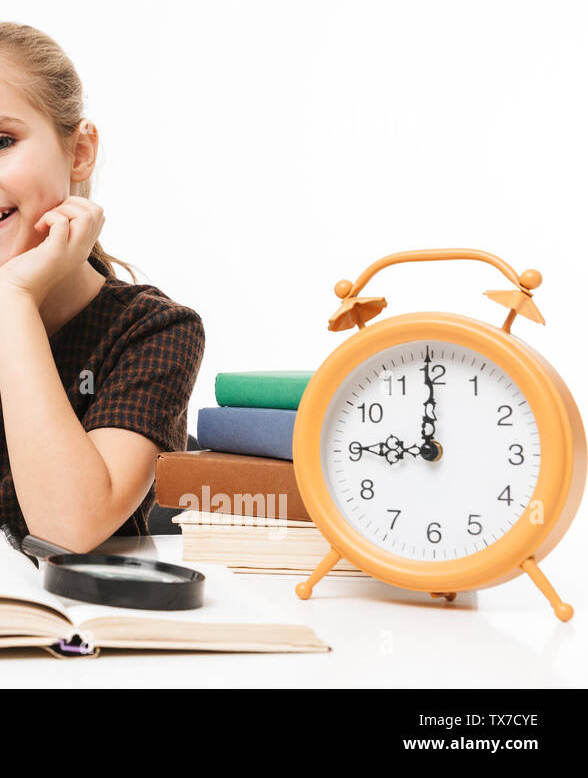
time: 8:59
